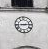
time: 2:45
